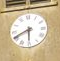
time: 5:40
